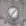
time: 7:07
